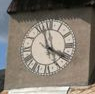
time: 3:57
